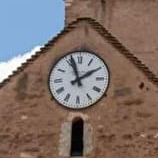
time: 1:56
